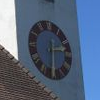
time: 12:13
